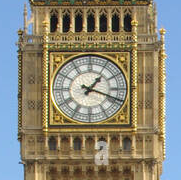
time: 1:18
